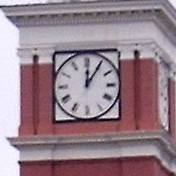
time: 12:05
